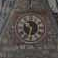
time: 11:32
